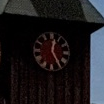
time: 12:24
